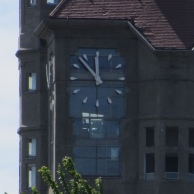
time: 11:52
